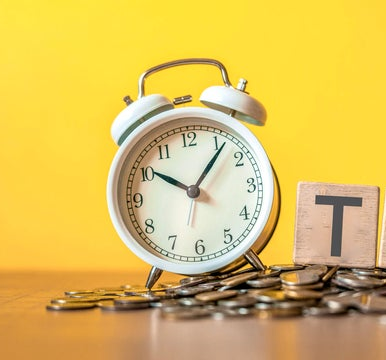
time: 10:07
